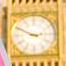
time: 2:49
